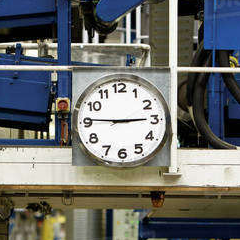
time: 2:46
